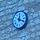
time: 12:18
